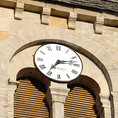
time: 7:13
